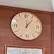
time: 12:06
